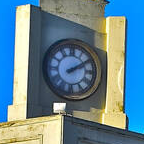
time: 2:09
